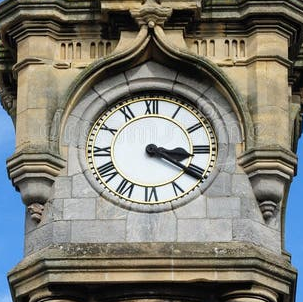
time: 3:20
